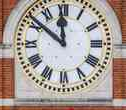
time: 11:51
